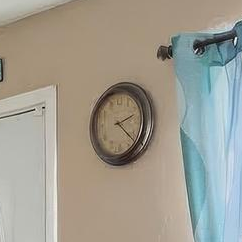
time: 2:21
